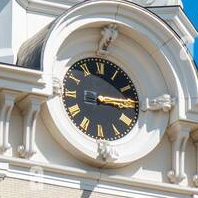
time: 3:14
